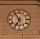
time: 6:54
